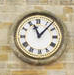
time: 11:07
